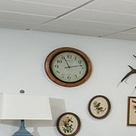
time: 11:13
